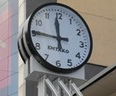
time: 11:45
